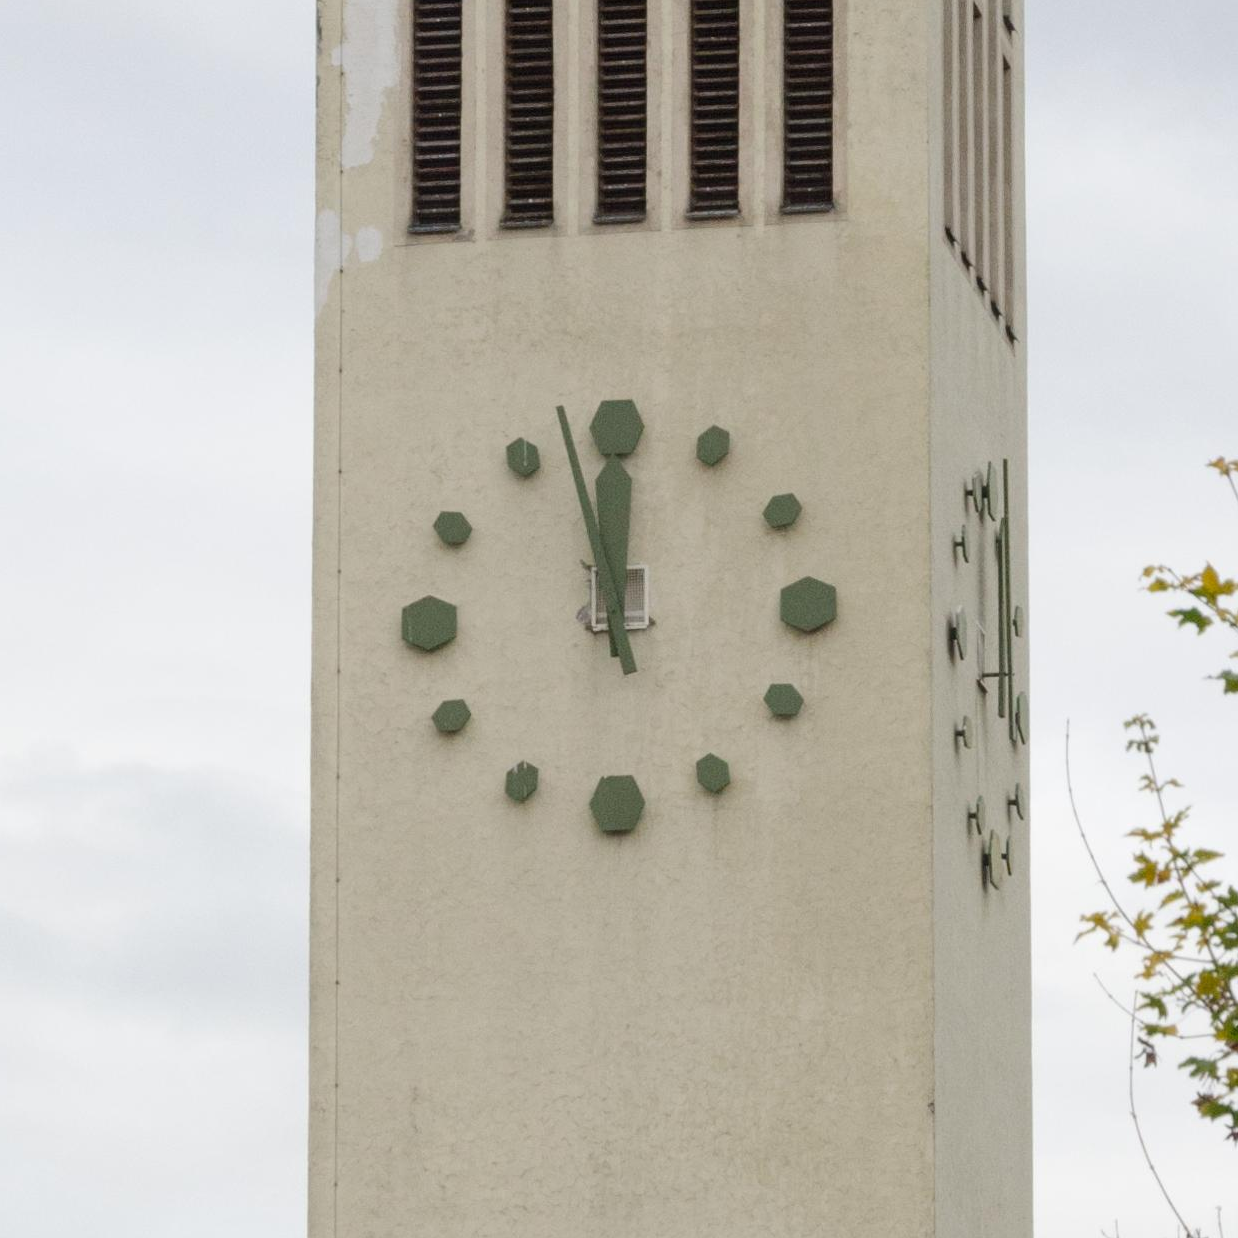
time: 11:57
